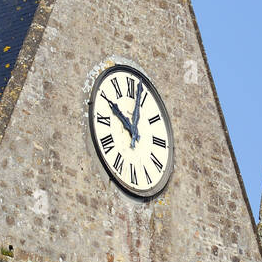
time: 10:02
